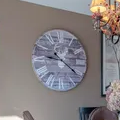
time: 9:21
